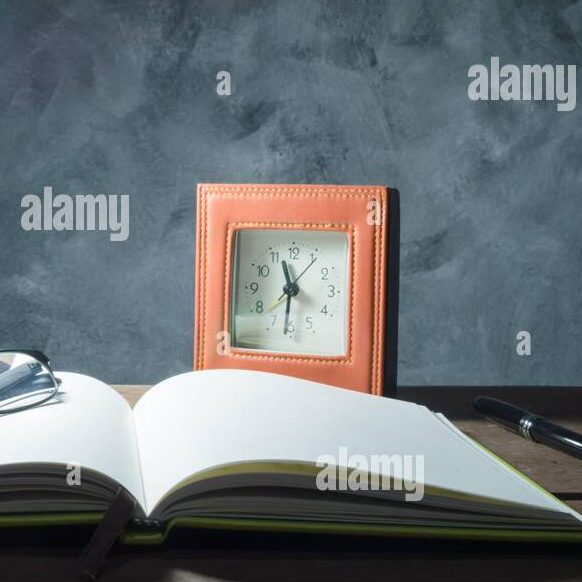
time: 11:31
